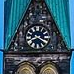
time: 8:20
